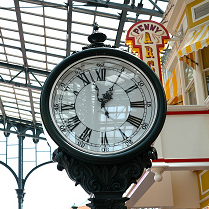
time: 12:57
